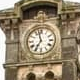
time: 6:57
